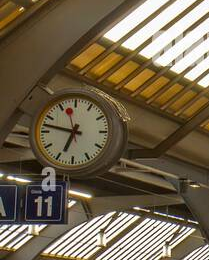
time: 6:47
